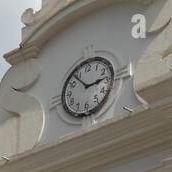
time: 2:53
